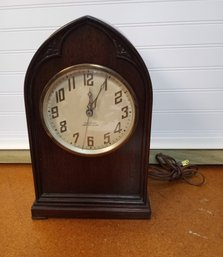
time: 12:04
